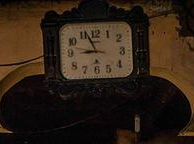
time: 8:56
